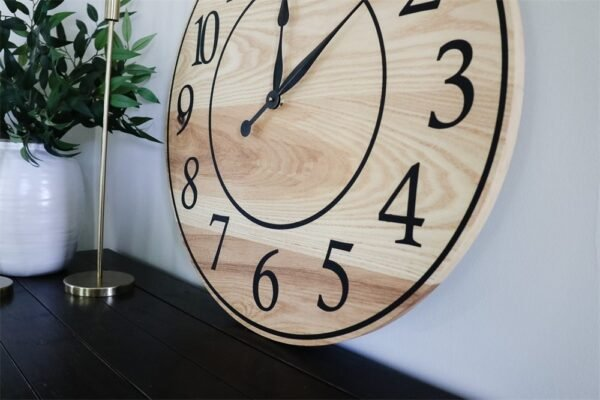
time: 12:07
